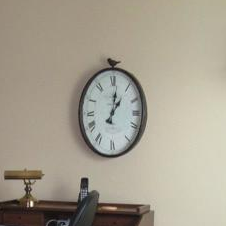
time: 1:01
